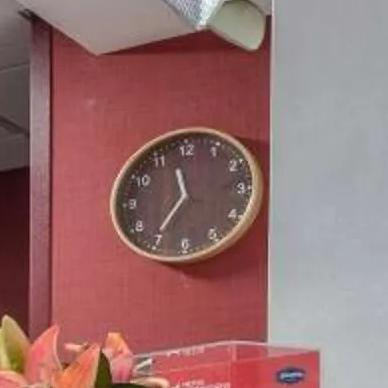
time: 11:35
